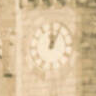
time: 12:04
